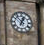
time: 12:52
